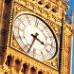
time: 3:33
